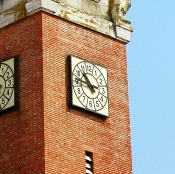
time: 10:46
